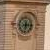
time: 6:14
